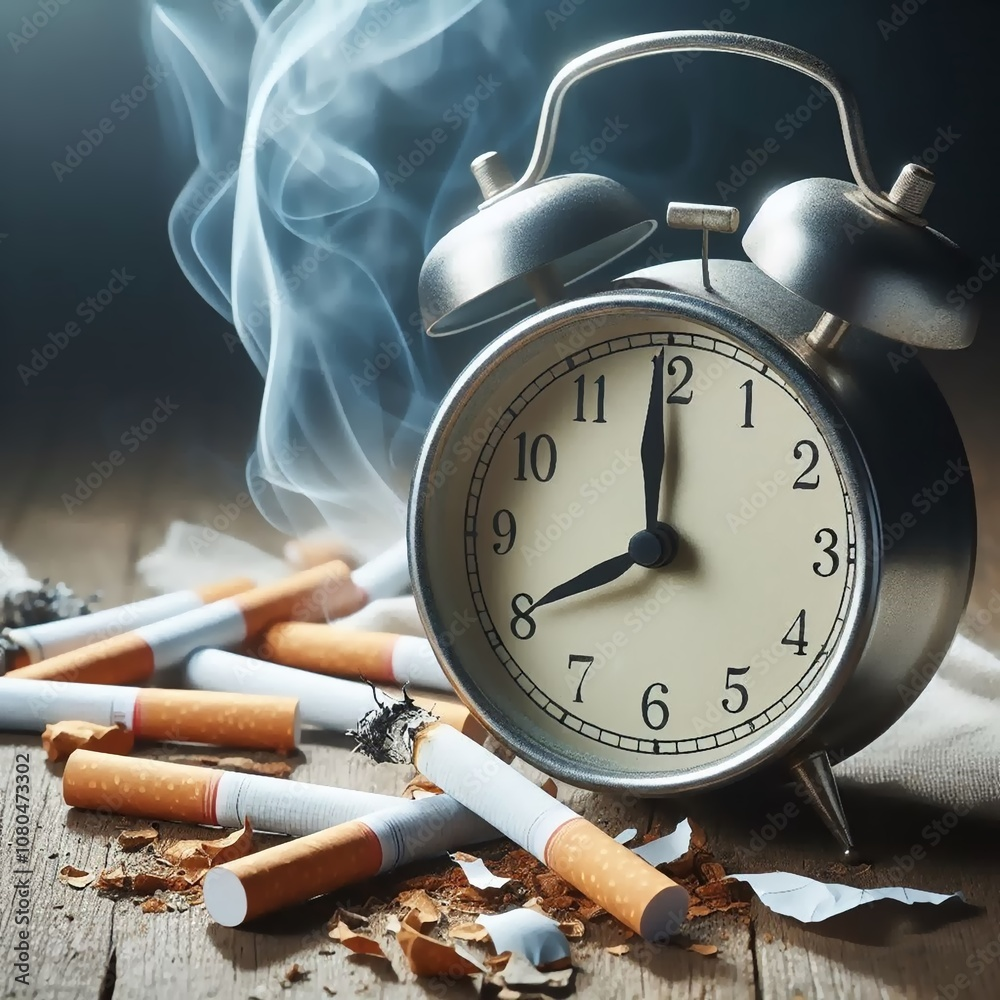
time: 7:59
